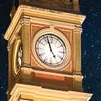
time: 4:57
